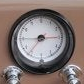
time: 7:14
